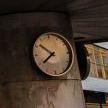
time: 7:51
